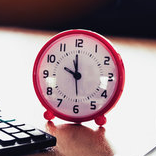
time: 9:59
